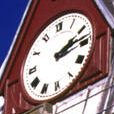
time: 2:13
